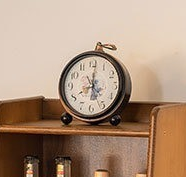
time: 8:01
